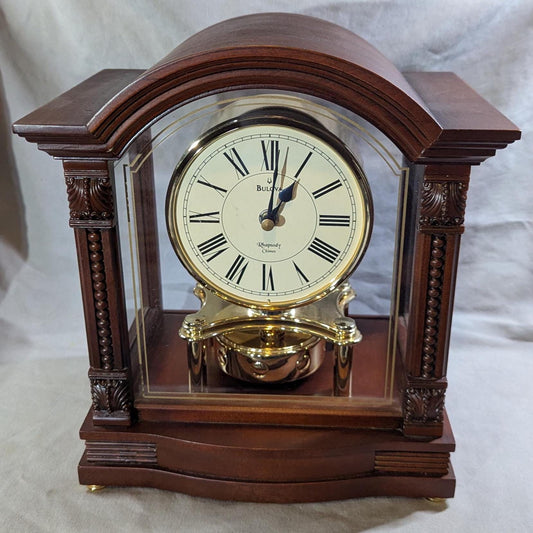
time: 1:01
